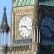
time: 9:22
